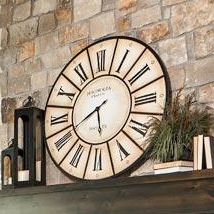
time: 5:40
